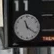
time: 11:21
